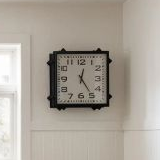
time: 12:24
